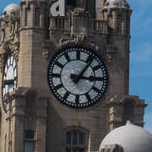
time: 3:06
